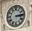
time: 3:13
